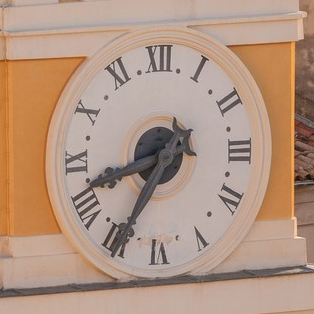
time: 8:35
